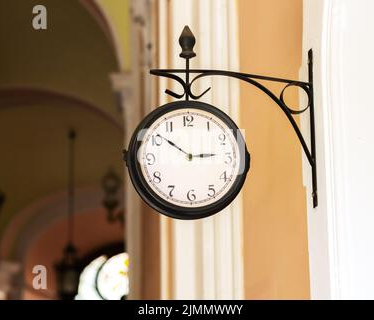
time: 2:51
